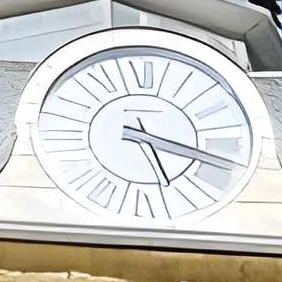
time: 5:18
